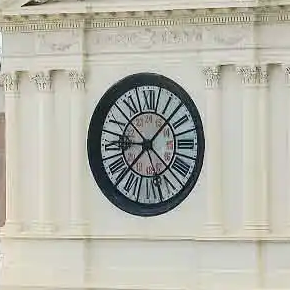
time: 9:07
